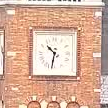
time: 10:32
